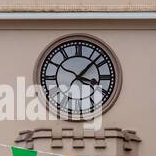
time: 3:07
